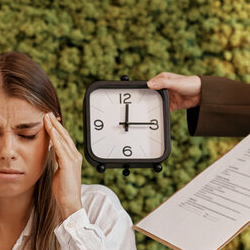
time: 12:14
